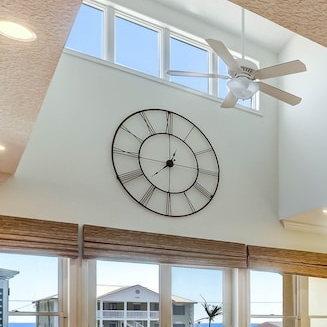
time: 7:30
